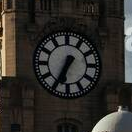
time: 6:35
